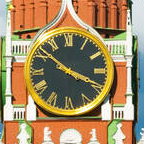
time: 3:51
